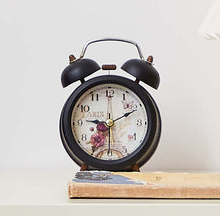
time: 9:10
